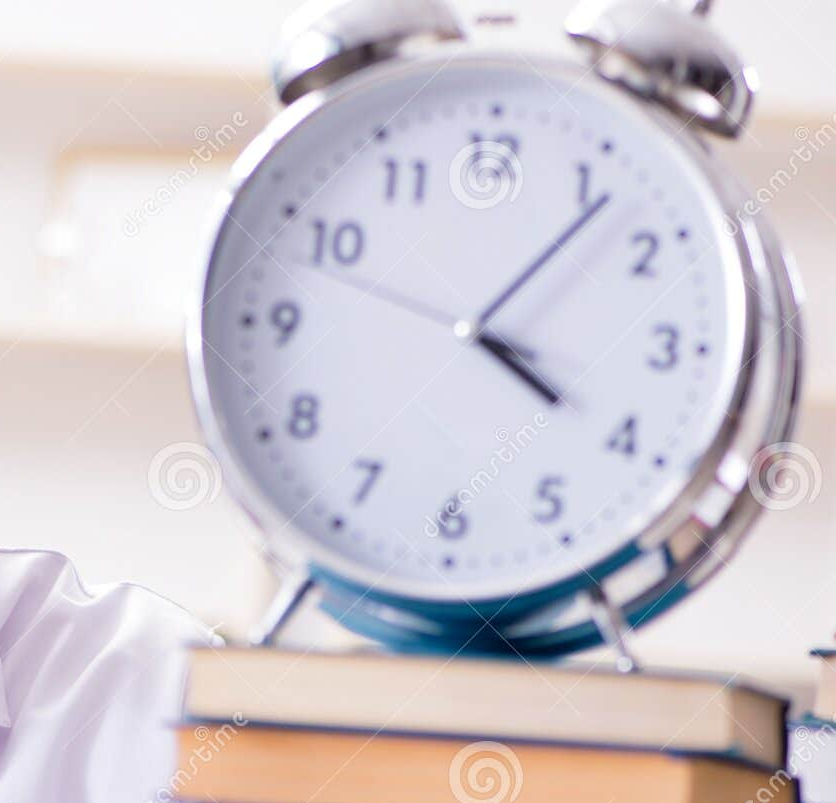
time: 4:06
